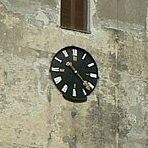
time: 10:22
